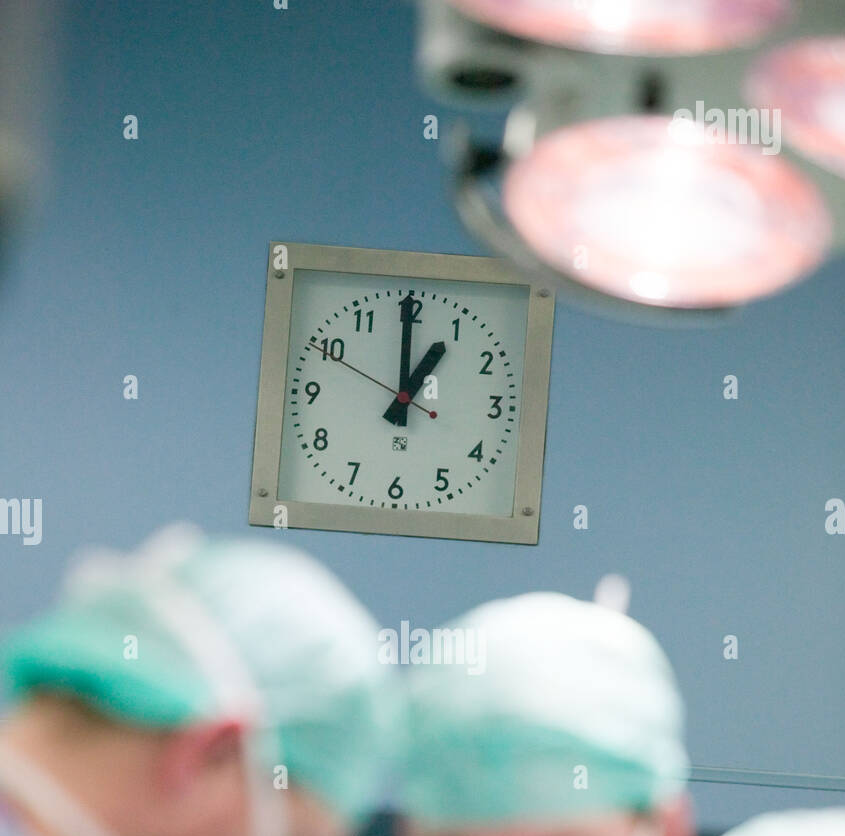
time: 12:59
